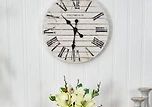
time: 10:31
